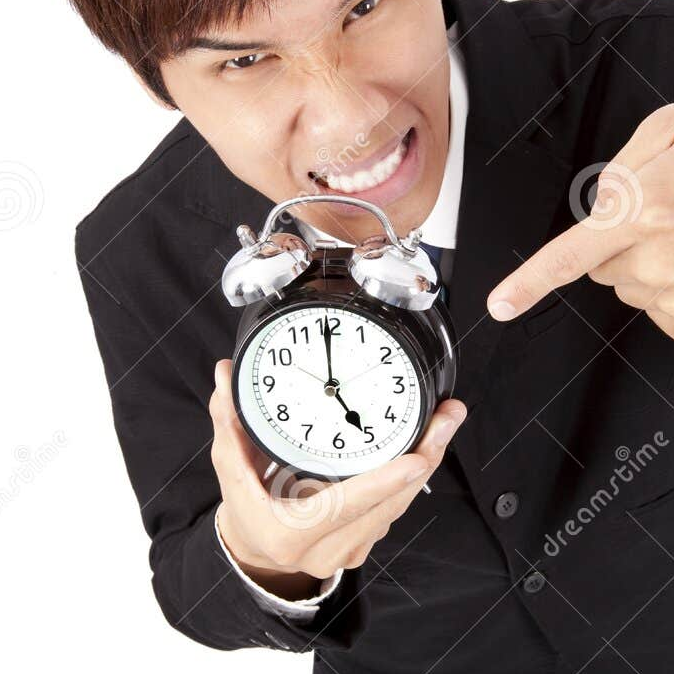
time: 5:00
